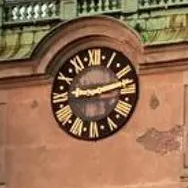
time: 9:12
